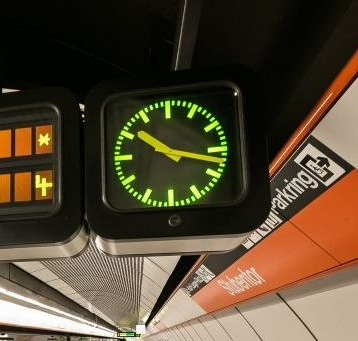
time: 10:17
